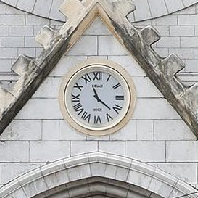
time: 11:21
